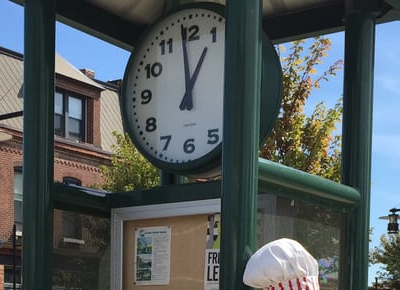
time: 12:58
